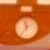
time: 11:36
